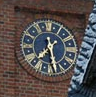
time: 7:28
